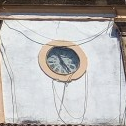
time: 11:24
